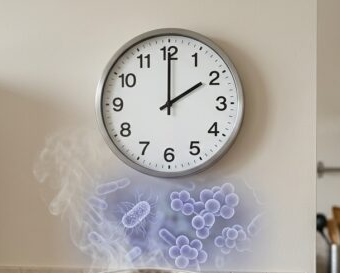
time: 2:00
